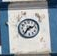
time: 2:36
